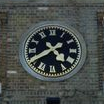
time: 4:39
